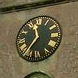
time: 11:36
